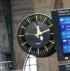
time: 12:11
